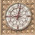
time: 9:01
